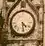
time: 4:28
